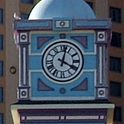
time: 4:02
